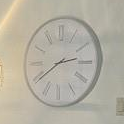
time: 2:39
